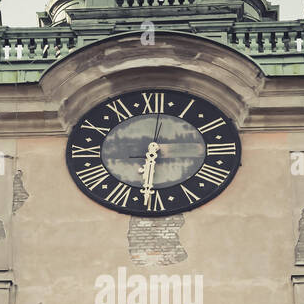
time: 6:01
